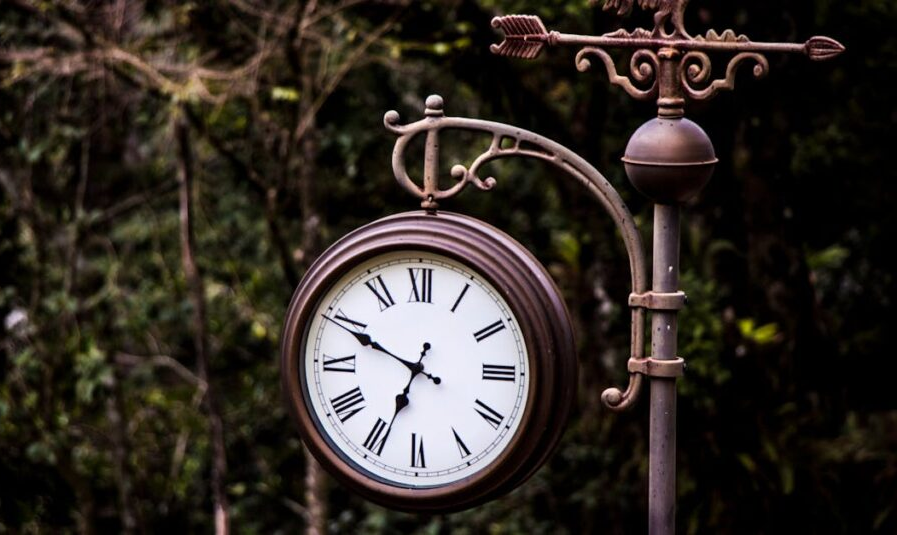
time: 6:49
